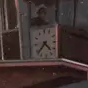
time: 4:37
